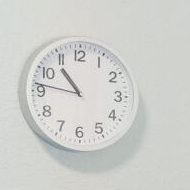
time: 10:46
